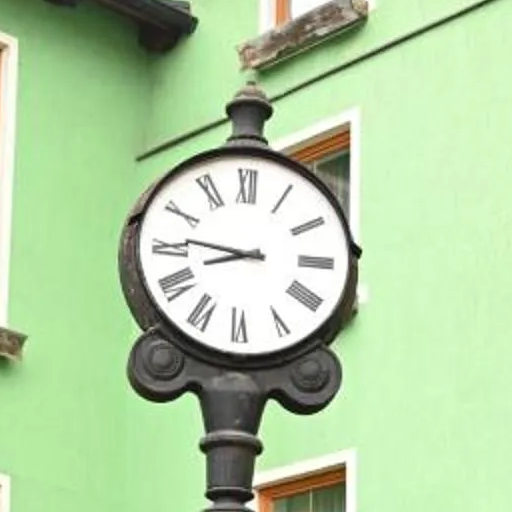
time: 8:46
